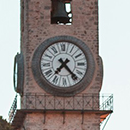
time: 7:23
